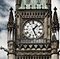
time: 1:26
